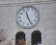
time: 11:25
